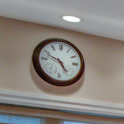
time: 4:48
